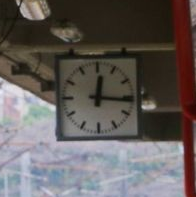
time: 12:16
